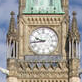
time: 9:43
